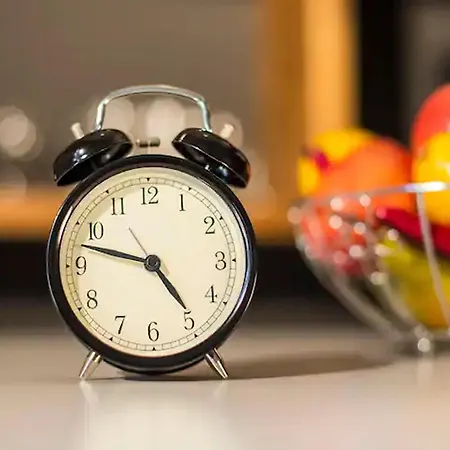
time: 4:47
